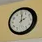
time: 2:00
